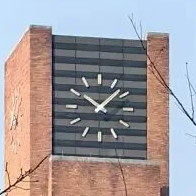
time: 10:07
